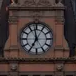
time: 6:58
